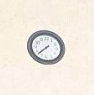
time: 7:37
